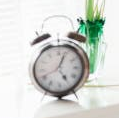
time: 5:03
